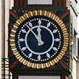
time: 11:52
